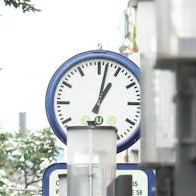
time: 1:02
